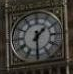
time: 1:30
